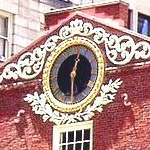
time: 12:29
